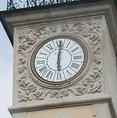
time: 6:00
